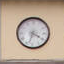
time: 3:33
